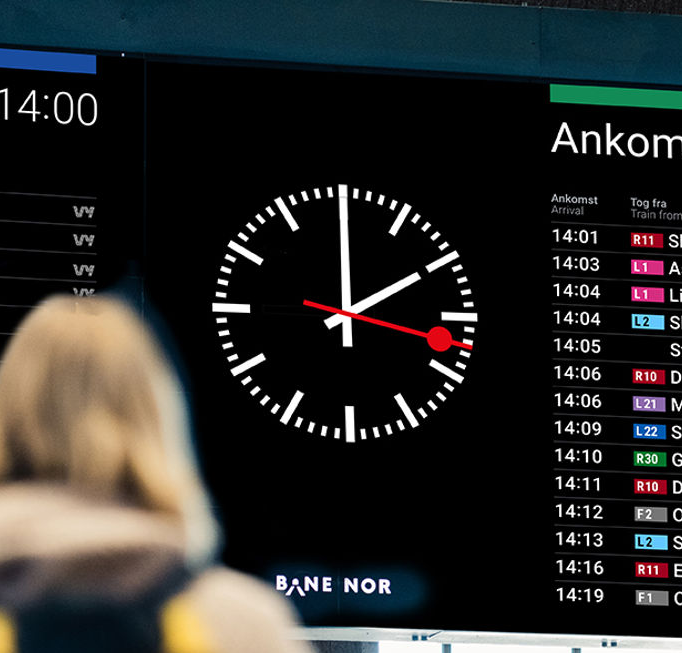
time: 2:00
